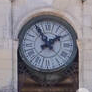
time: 1:54
